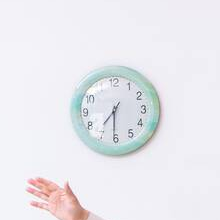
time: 7:30
